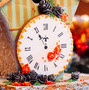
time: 11:54
